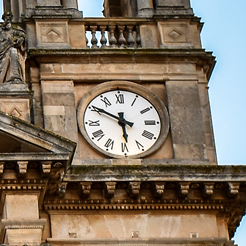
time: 5:50
